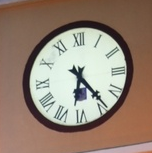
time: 6:23
